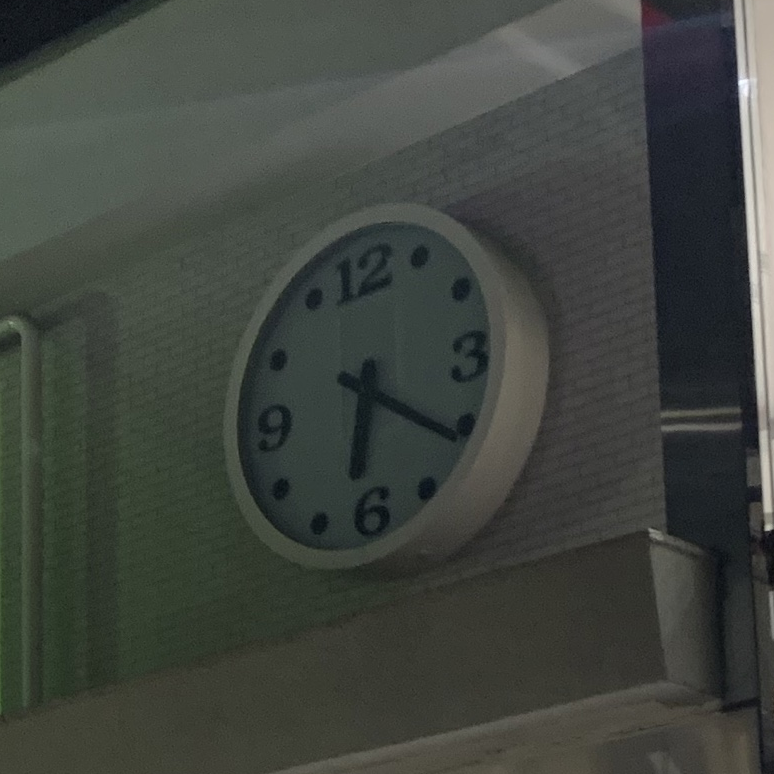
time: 6:20
